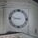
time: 8:47
